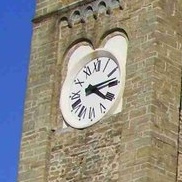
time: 4:13
